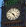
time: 4:52
